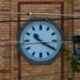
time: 10:20
